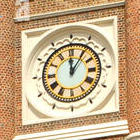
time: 12:05
